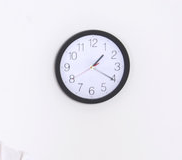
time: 1:20
